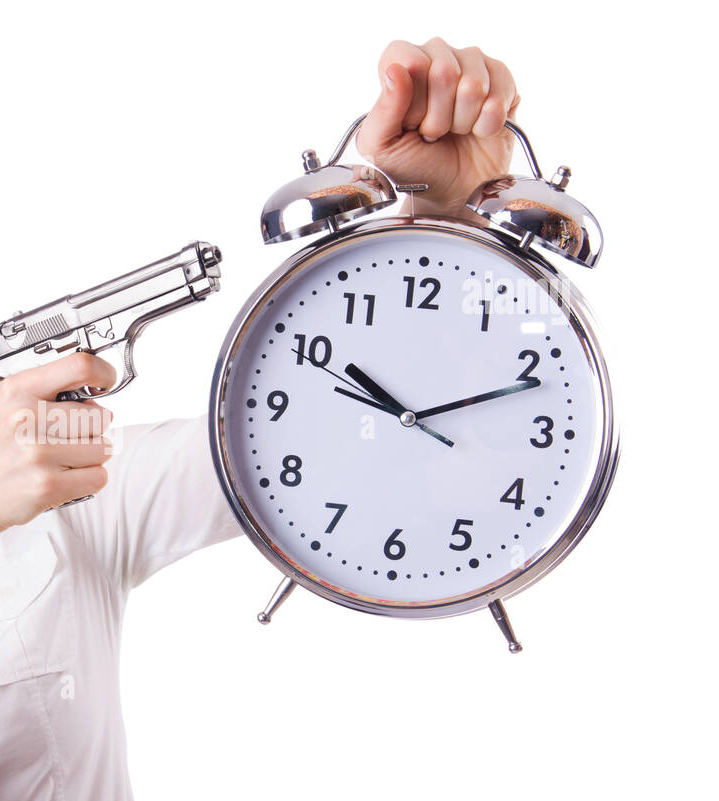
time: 10:11
